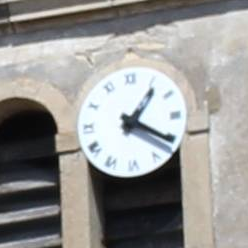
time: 1:20
